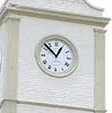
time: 12:52
